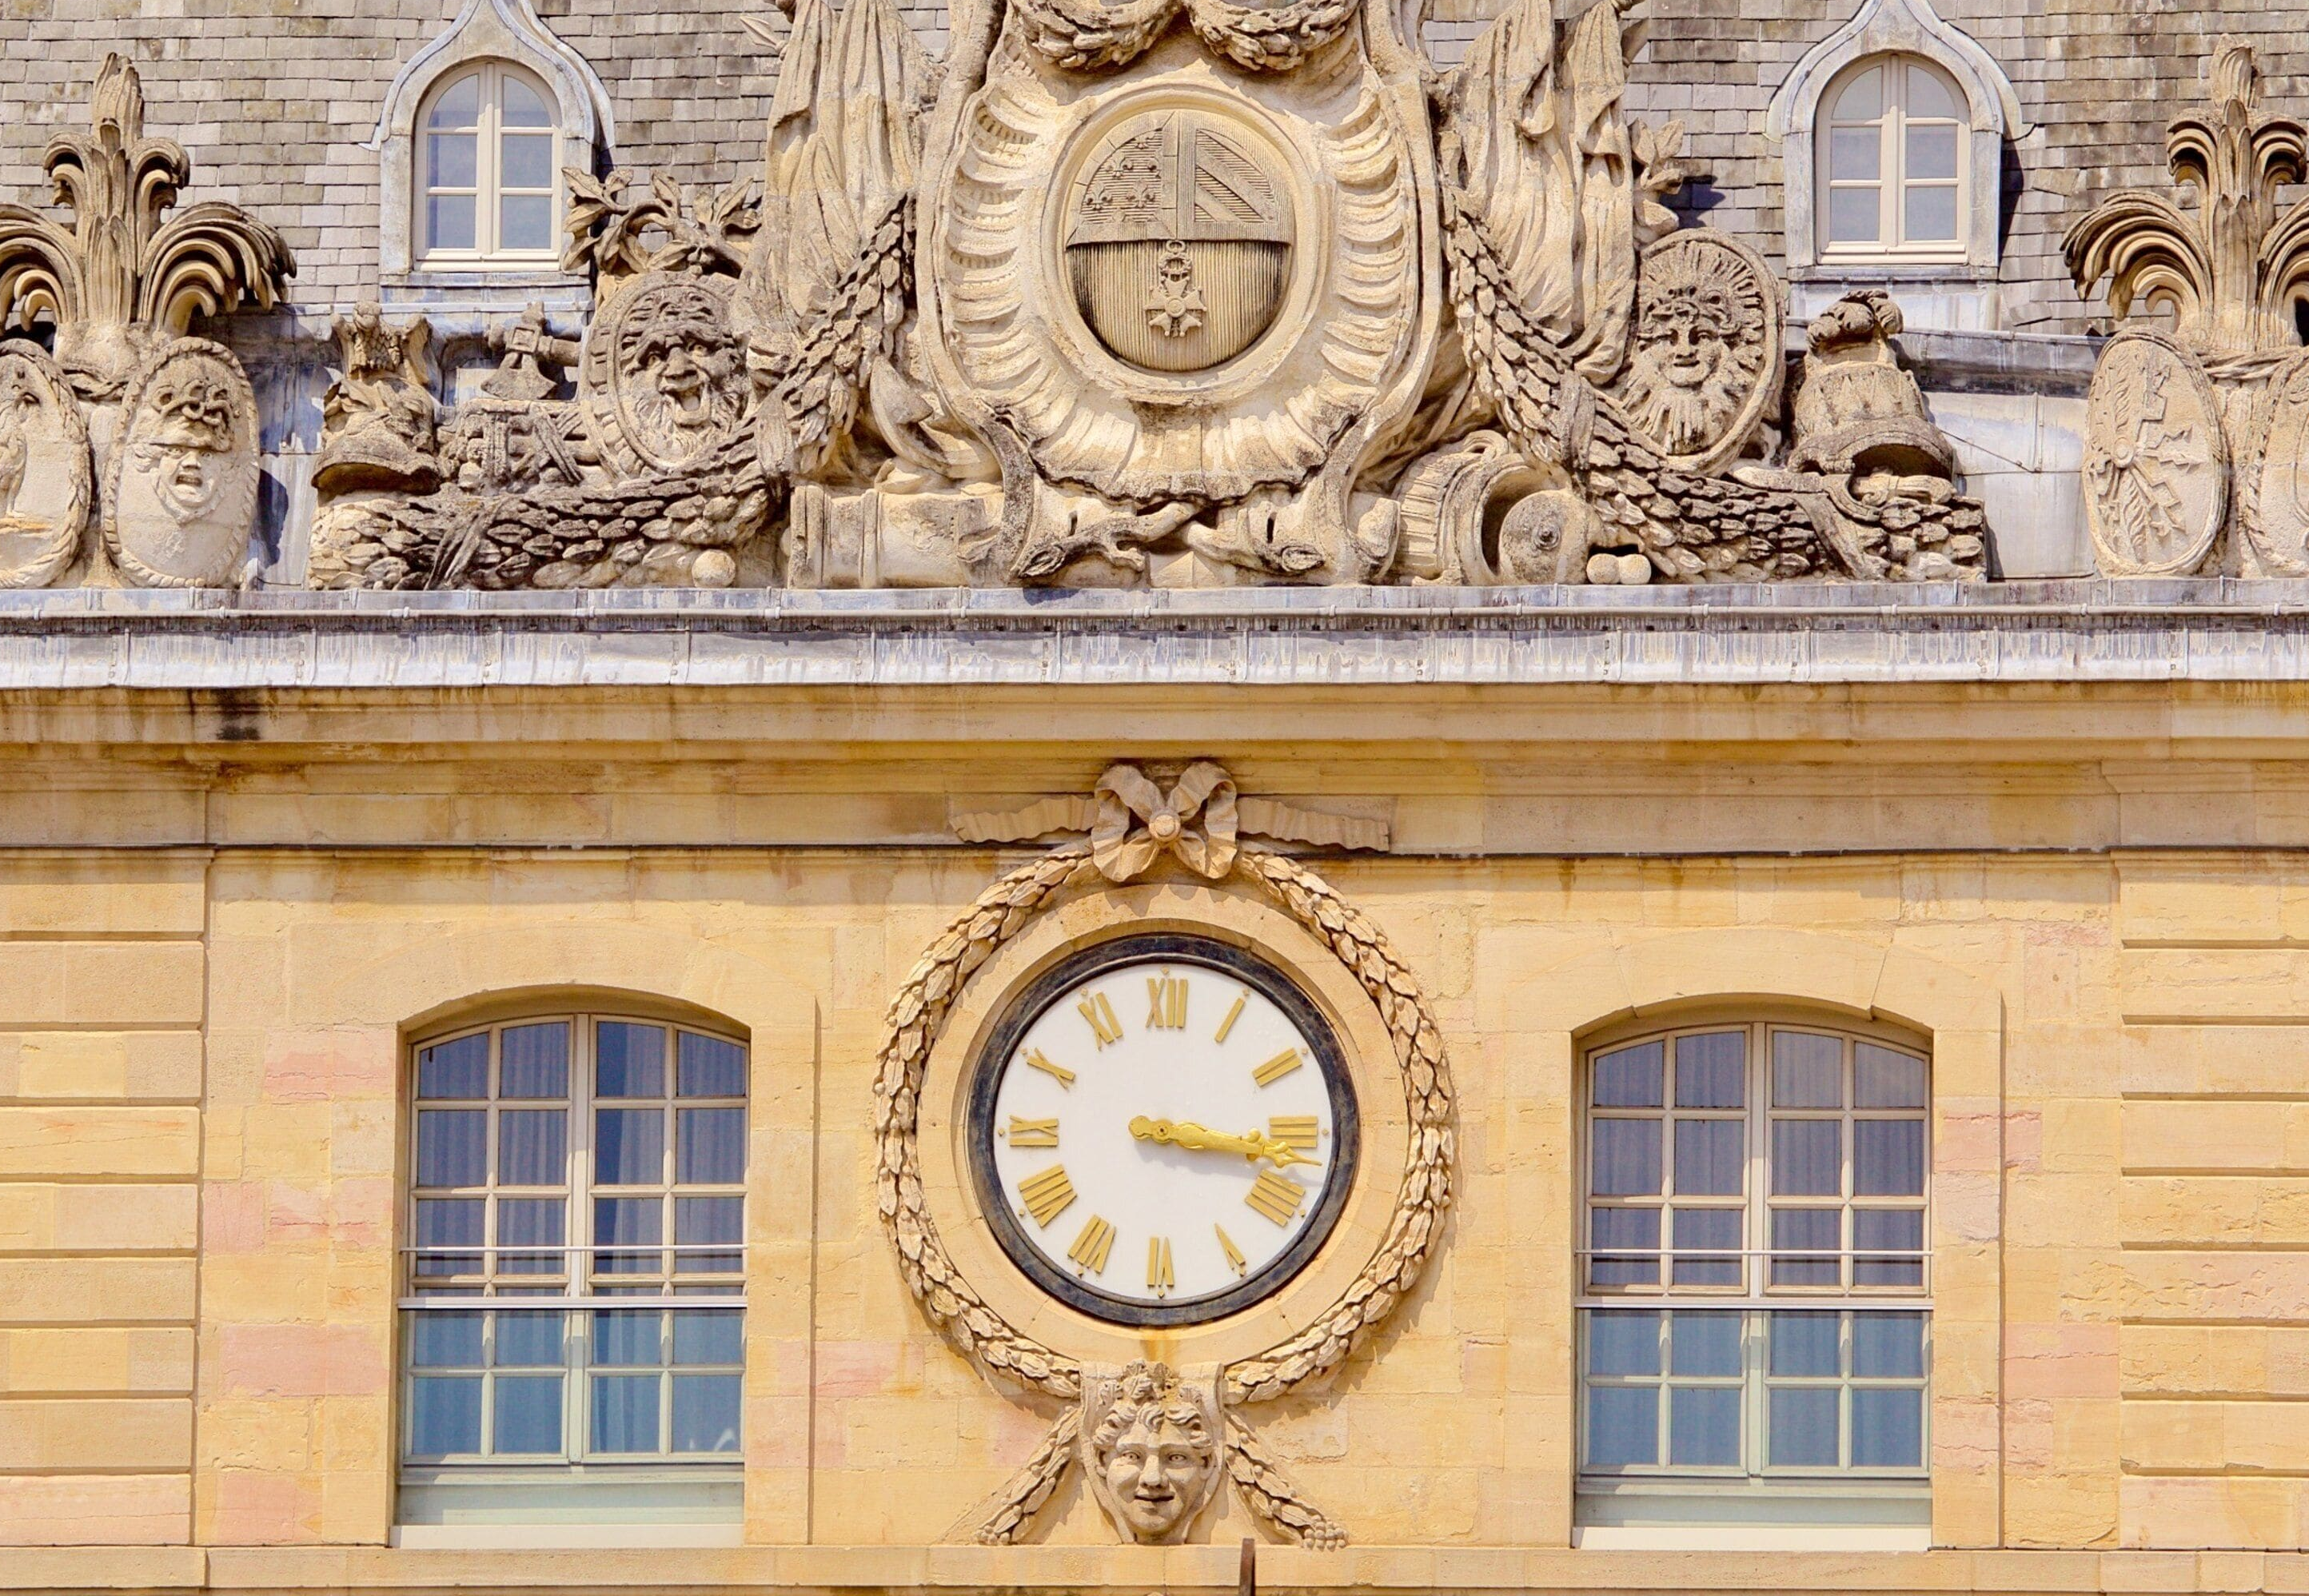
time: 3:17
